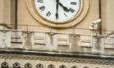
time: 4:30
